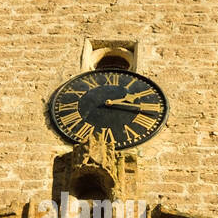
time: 2:16
